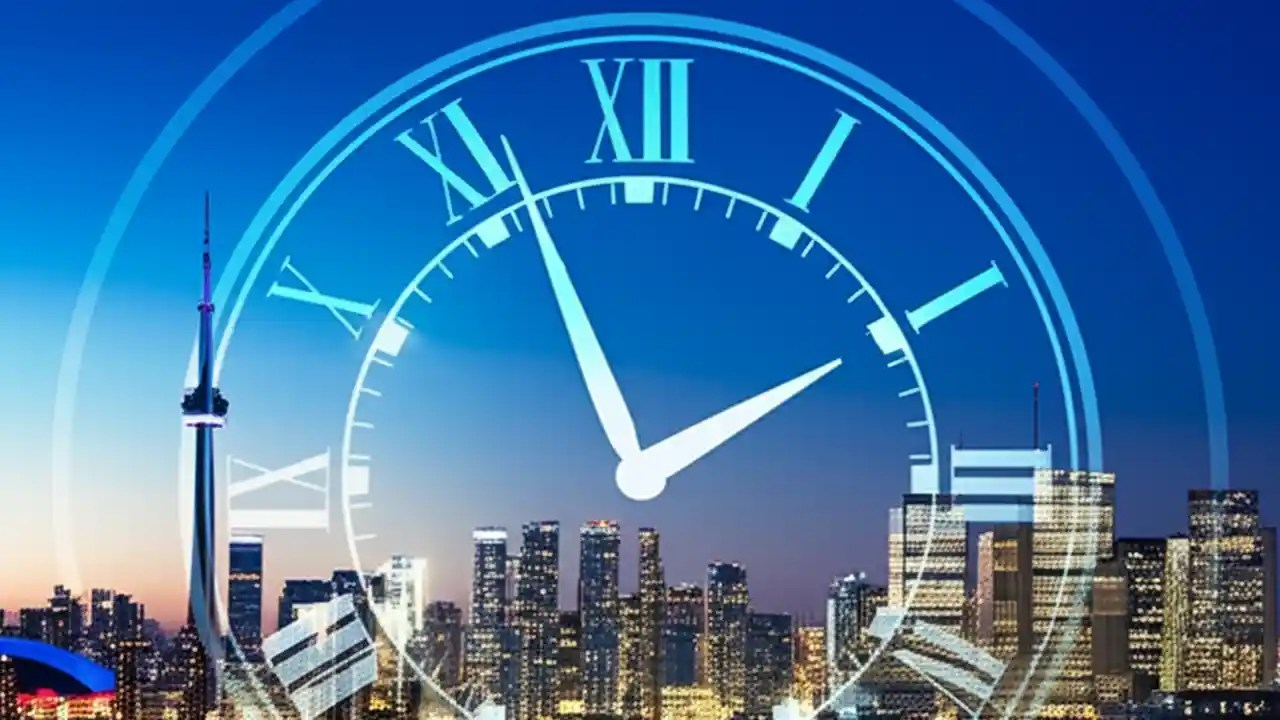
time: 1:56
